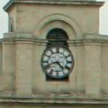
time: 4:42
